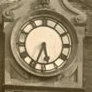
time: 5:33
